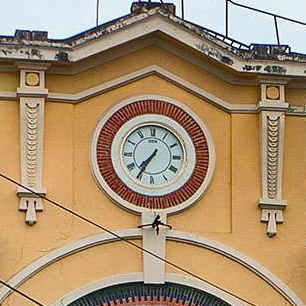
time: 7:35
